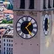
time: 1:24
